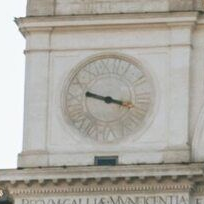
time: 9:17
